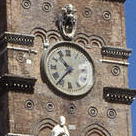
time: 10:36
